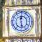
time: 12:28
